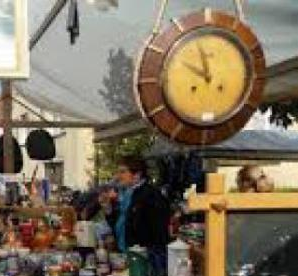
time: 9:57
